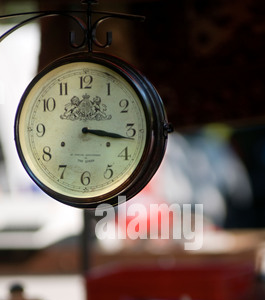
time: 3:16
